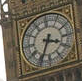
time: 3:34
